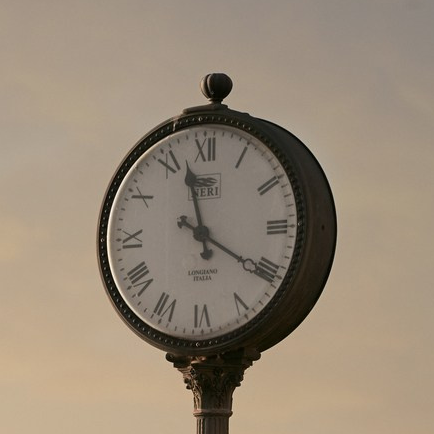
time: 11:20
